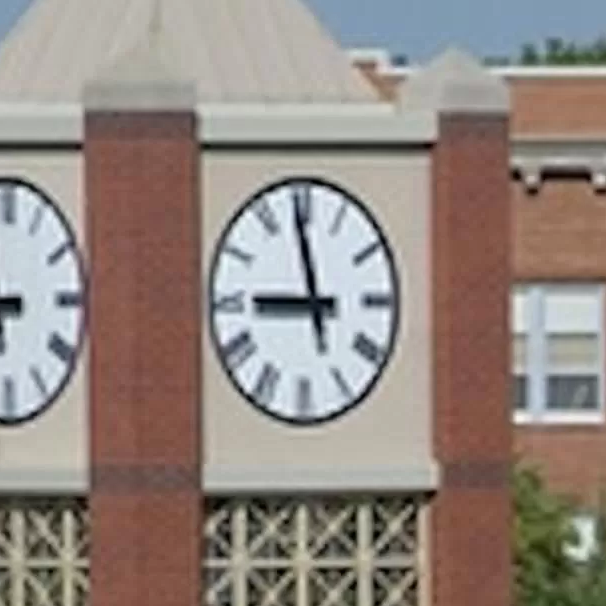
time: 8:58
